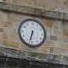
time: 6:32
